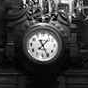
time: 7:25
